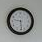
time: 9:28
